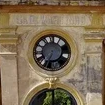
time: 6:34
